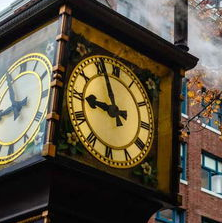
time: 8:56
